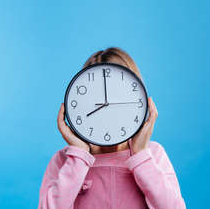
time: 7:59
